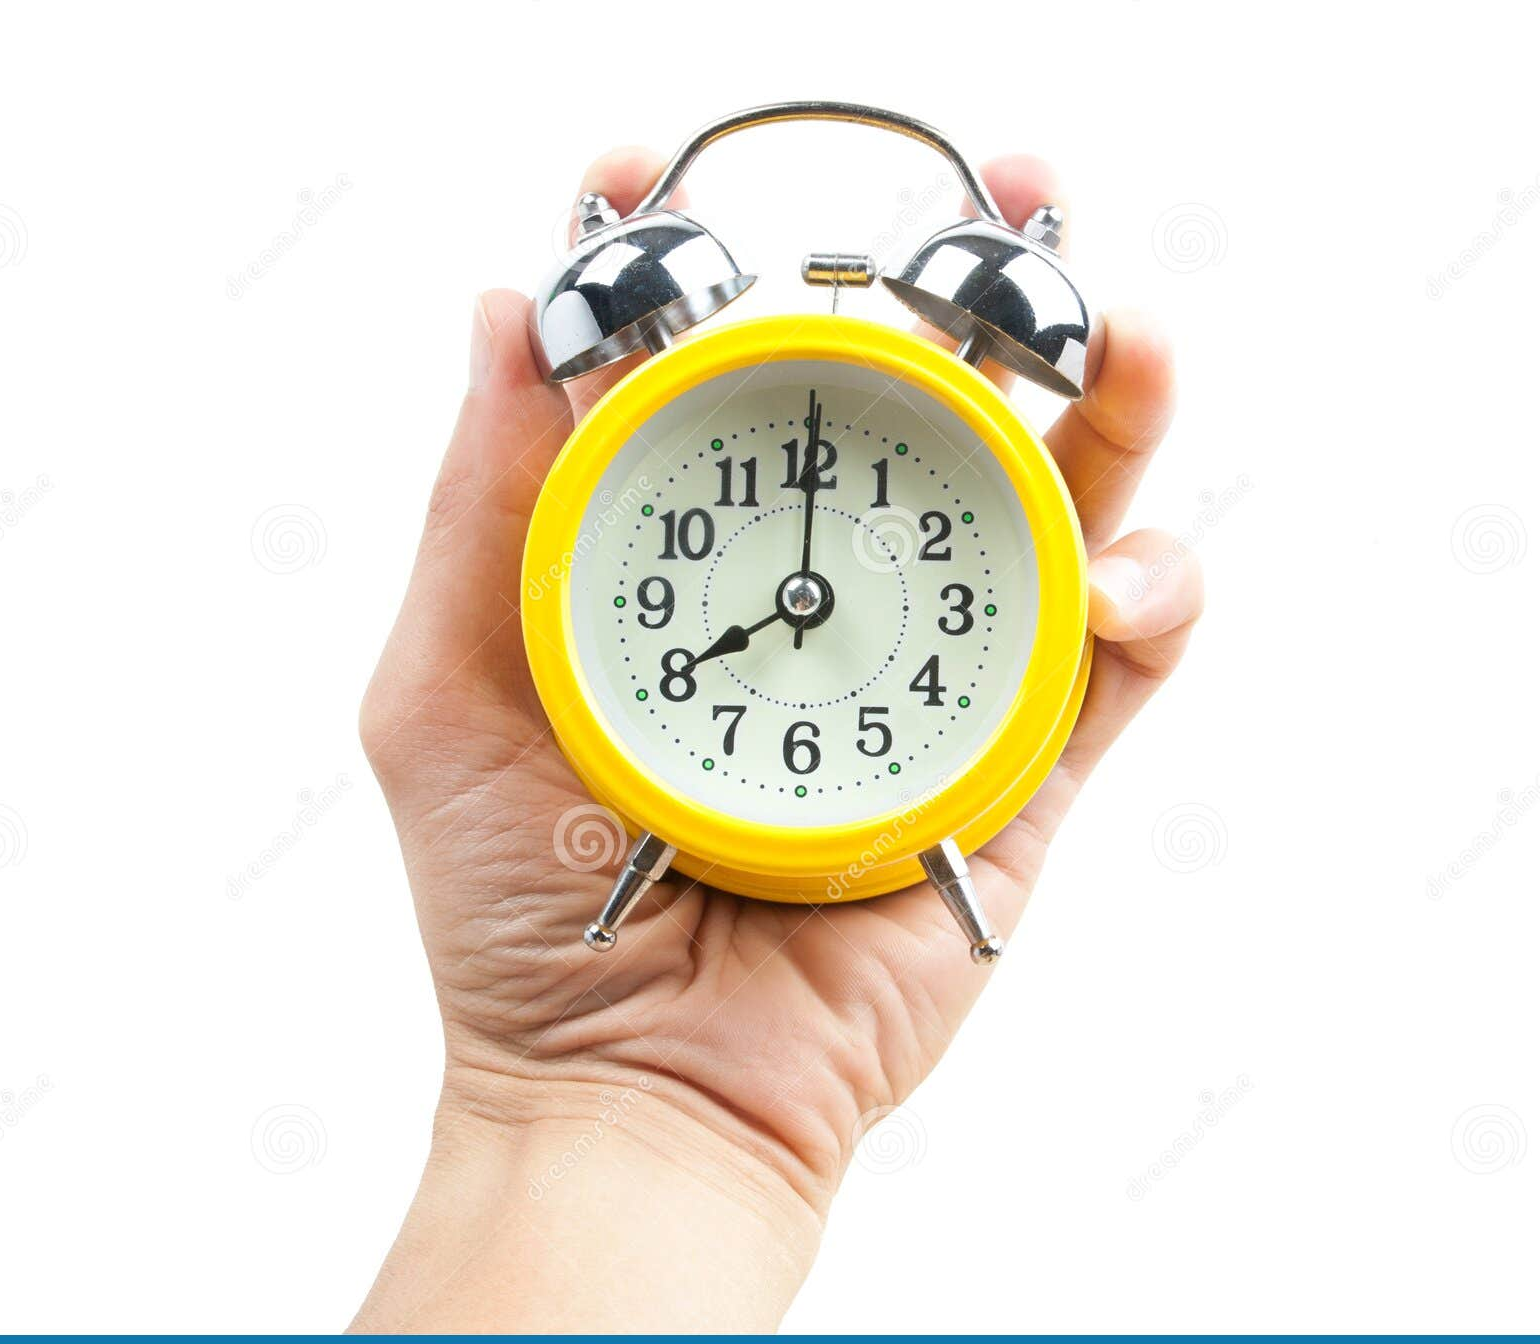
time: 8:00
